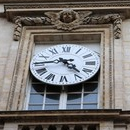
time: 4:44
